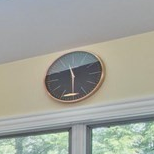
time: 11:29
